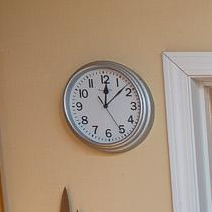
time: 12:07
